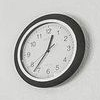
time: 12:36
